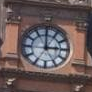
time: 2:58
